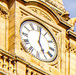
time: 5:01
